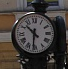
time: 10:31
